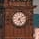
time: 5:08
